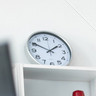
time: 1:50
